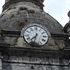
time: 7:32
